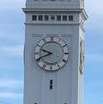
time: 9:41
